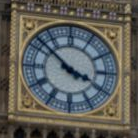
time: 3:51
